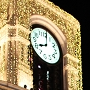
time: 8:01
